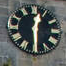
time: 12:29
